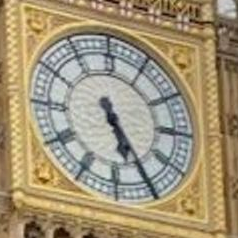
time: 5:24
